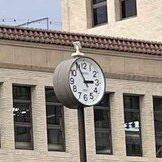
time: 2:55
